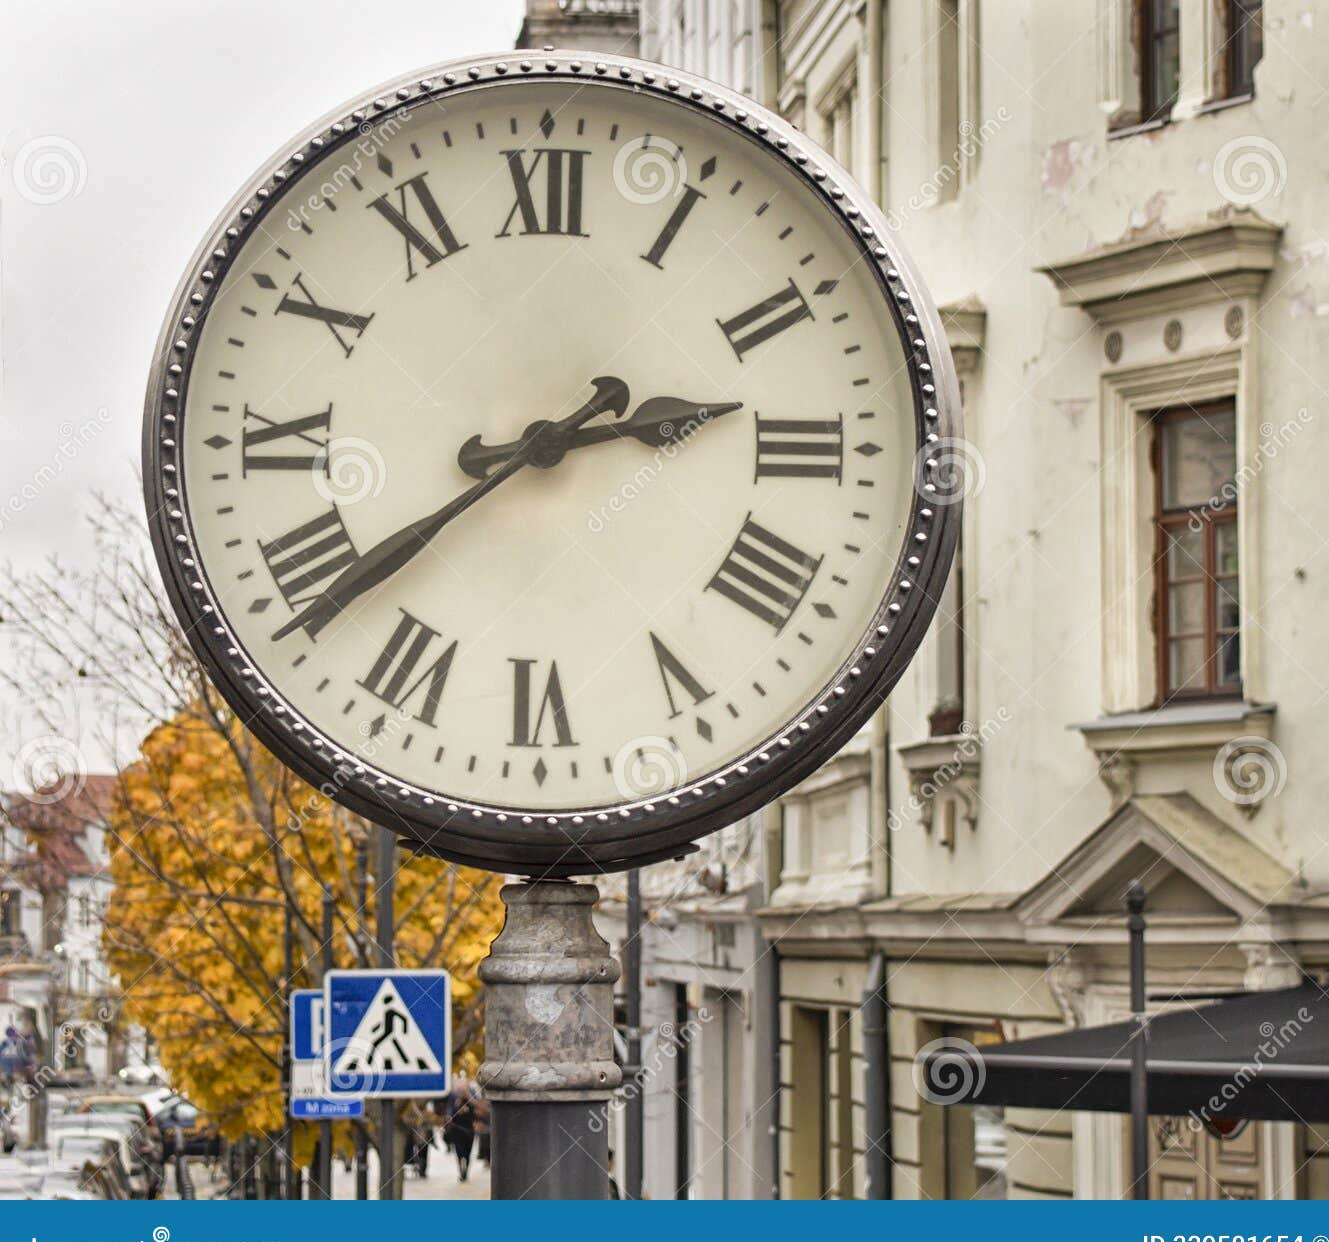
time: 2:38
